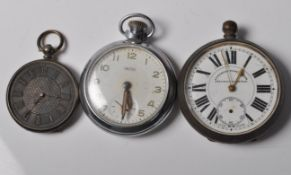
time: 5:29
